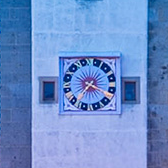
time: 7:18
